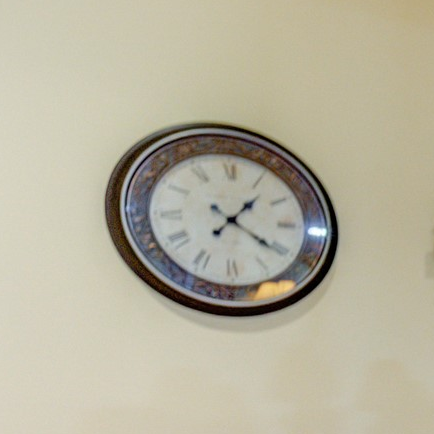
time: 1:20
